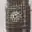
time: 7:12
